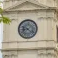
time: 8:21
